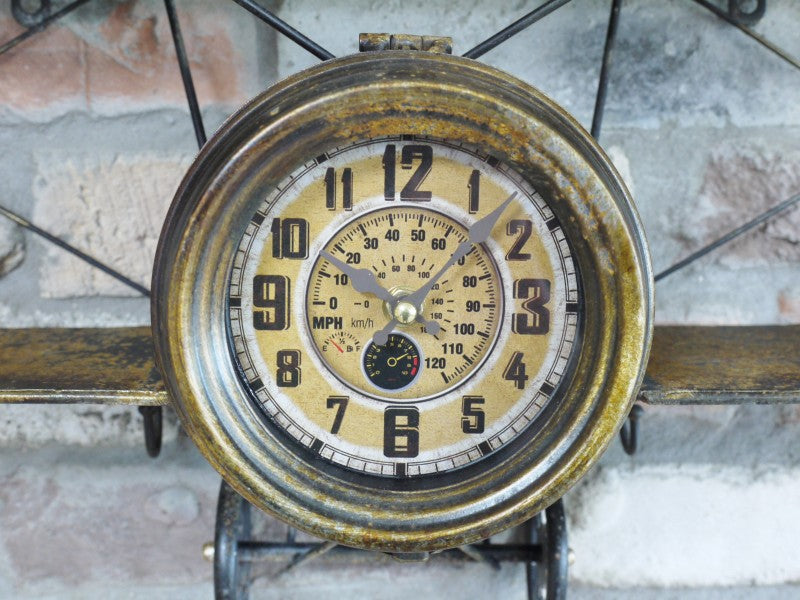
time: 7:07
